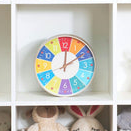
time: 2:01
